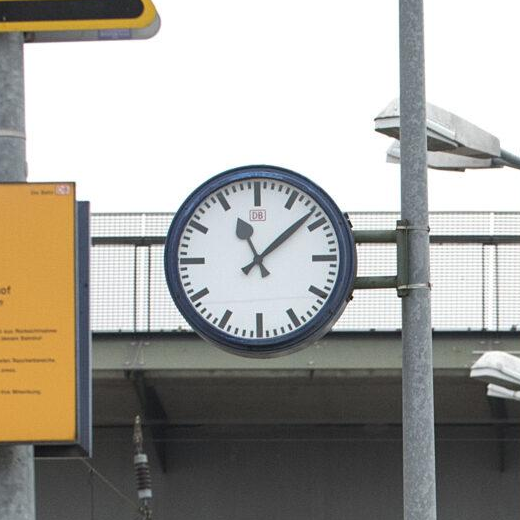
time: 11:08
